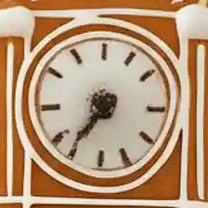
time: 7:36
